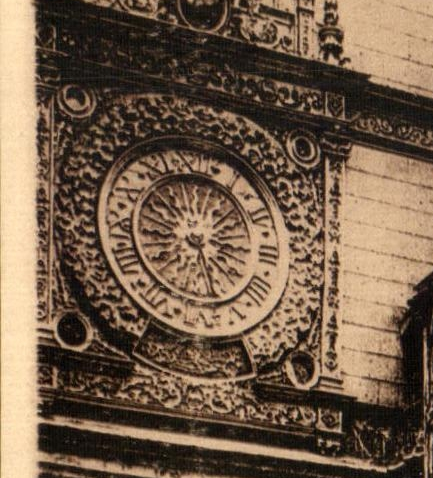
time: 3:27
